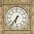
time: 6:36
